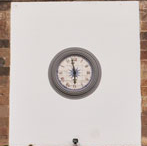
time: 5:58
